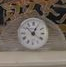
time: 12:52
